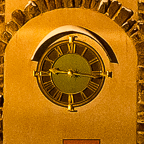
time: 9:16
